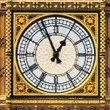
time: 12:56
